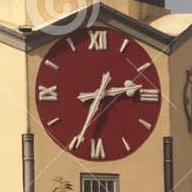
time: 2:34
